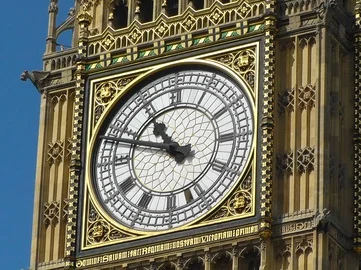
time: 10:47
